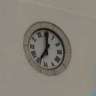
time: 7:00
